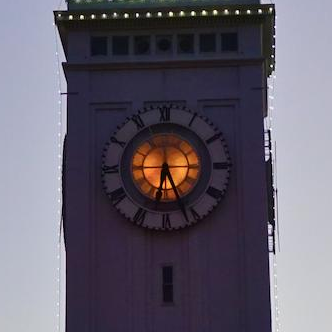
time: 6:26
